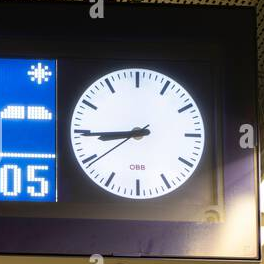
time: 8:44
